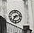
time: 7:12
